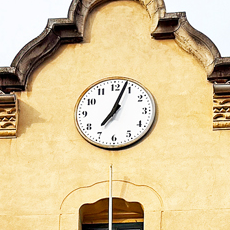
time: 7:03
